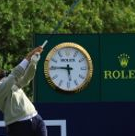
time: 5:45
